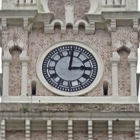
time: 3:01
